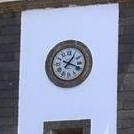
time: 1:18
